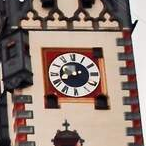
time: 12:41
